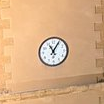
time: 11:05
